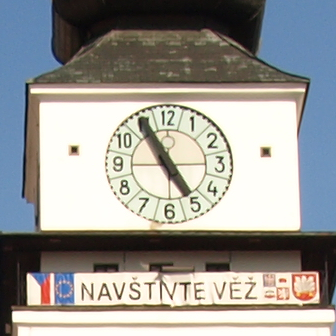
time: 4:55
